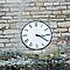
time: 3:20
